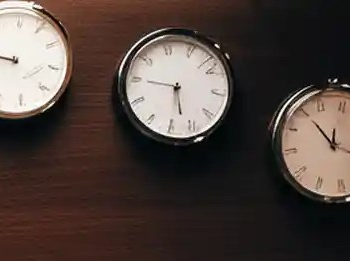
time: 5:45
